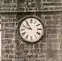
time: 10:48
